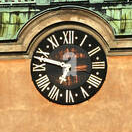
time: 6:47
